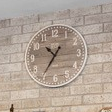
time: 10:35
